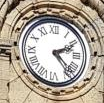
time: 2:23
